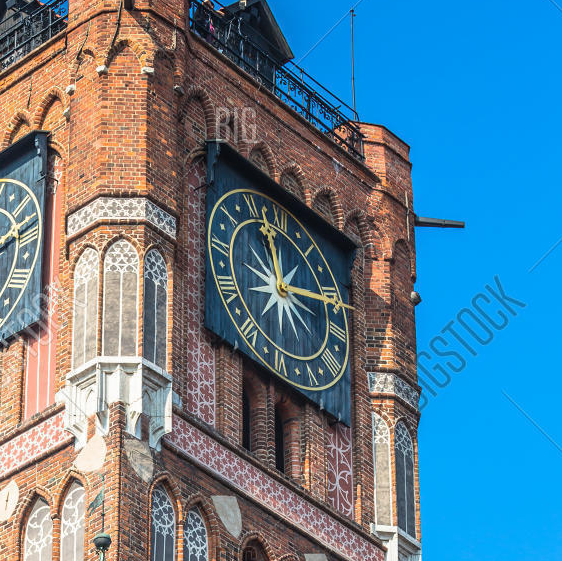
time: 12:13
